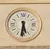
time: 5:31
